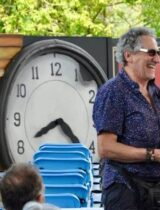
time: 4:40
